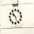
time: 10:26
